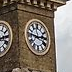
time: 2:46
